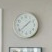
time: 1:38
